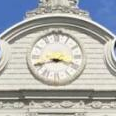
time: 3:41
